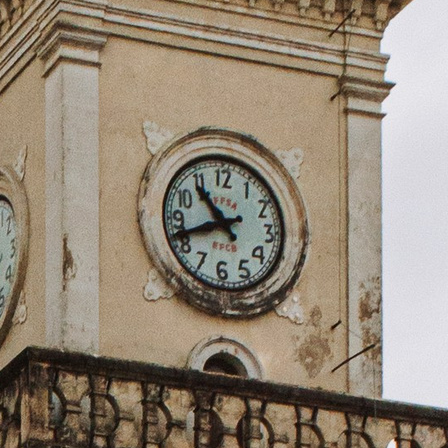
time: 10:41
